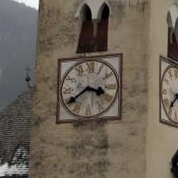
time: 3:39
